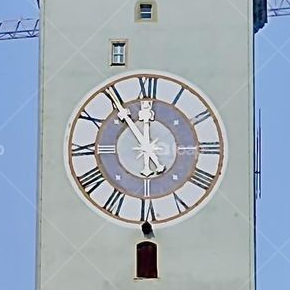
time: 11:54
